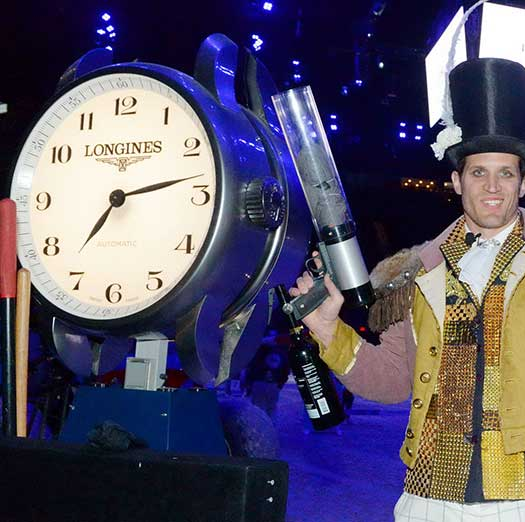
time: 7:12
